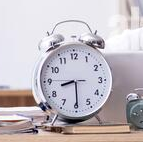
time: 8:29
